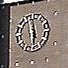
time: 5:58
